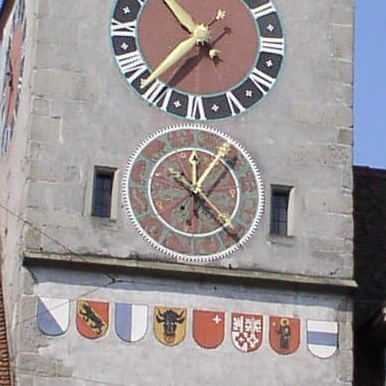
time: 12:06
